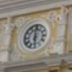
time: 5:59
